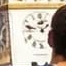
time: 1:46
